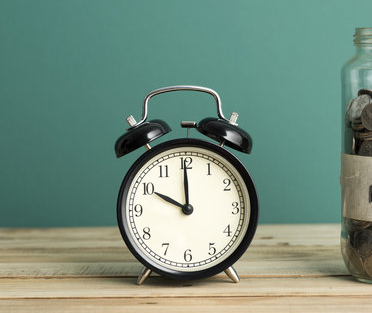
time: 9:59
